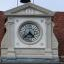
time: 4:37
